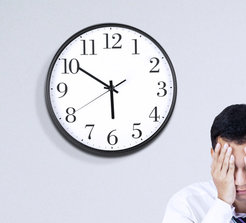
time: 5:50
